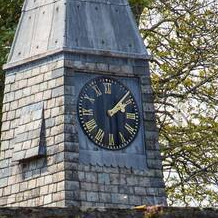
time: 2:07
